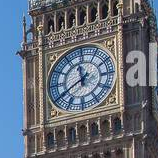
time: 11:40
